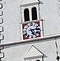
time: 5:14
